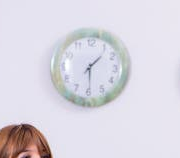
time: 1:29
